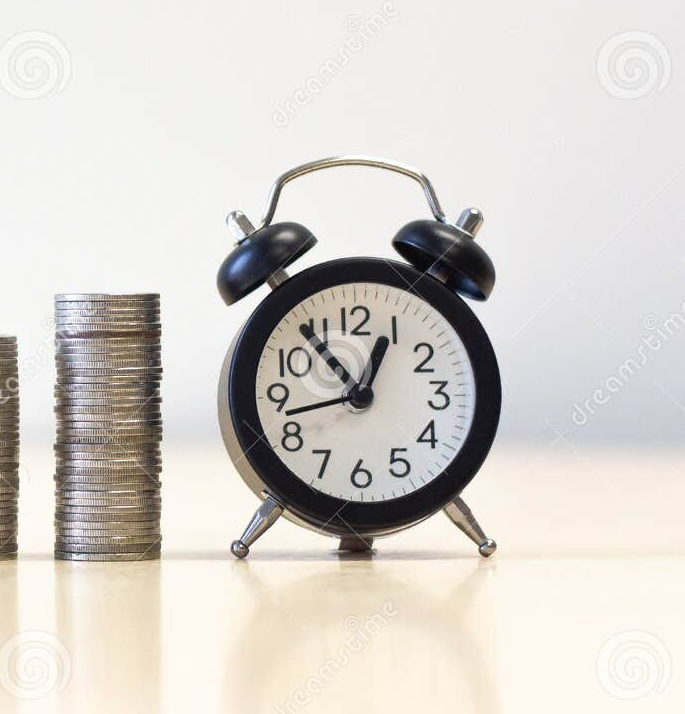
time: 12:53
